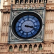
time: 3:18
